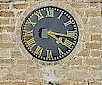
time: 4:16
